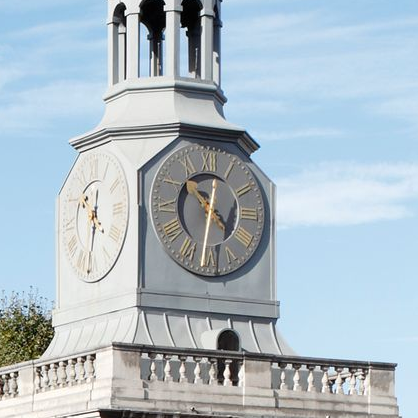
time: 4:31
